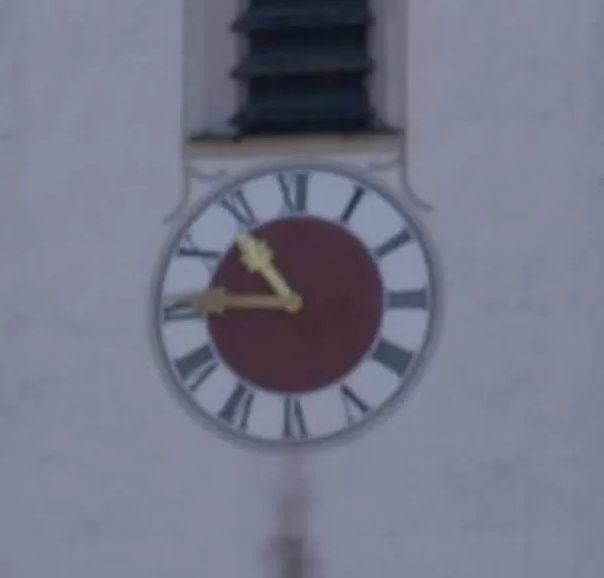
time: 10:45
